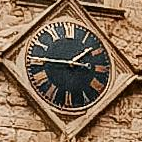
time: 1:45
